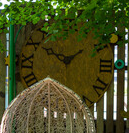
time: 1:50
